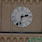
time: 2:32
